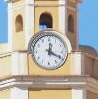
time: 12:19
